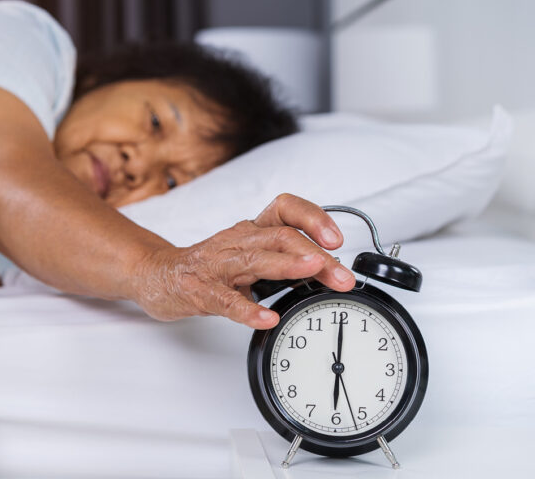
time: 6:00
